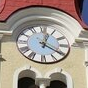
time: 12:20
